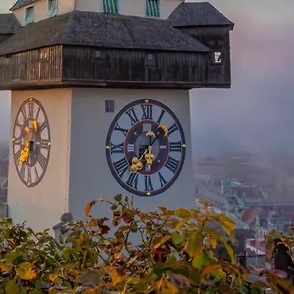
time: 1:36
